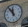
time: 11:54
